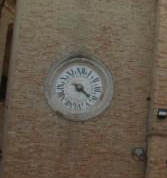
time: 4:21
